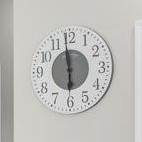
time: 5:58
